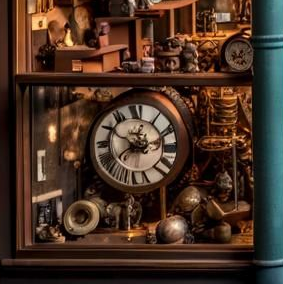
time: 7:49
